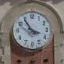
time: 3:54
